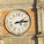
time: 2:13
